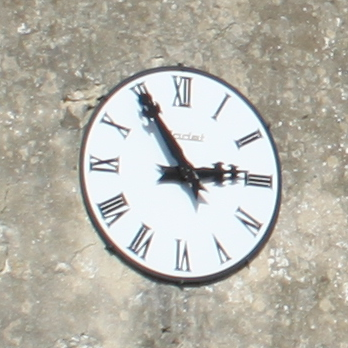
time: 2:54
